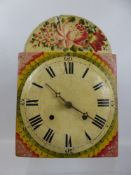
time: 10:20
